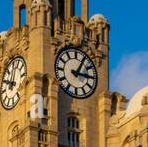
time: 3:04
